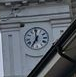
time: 6:59
